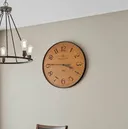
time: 3:45
